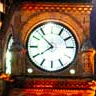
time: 7:52
